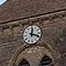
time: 12:18
